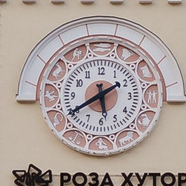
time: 5:38
